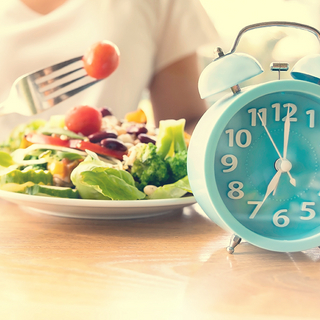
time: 7:00
